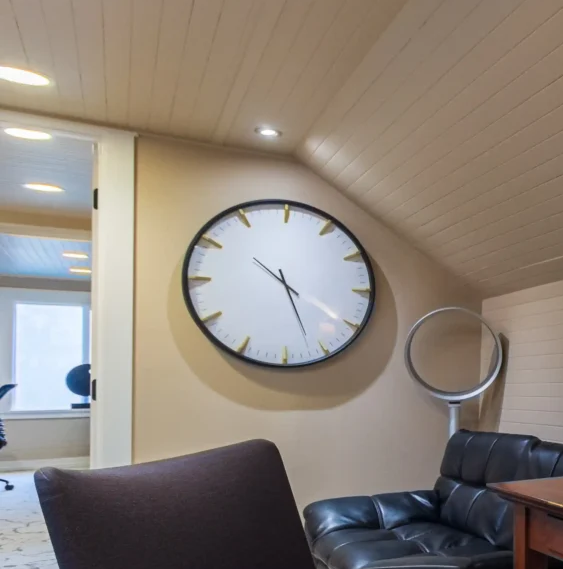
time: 5:20
